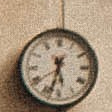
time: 5:33
